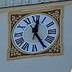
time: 12:24
